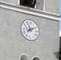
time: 1:56
